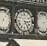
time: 3:24
